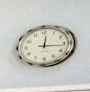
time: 12:16
